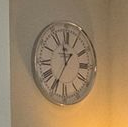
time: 11:35
